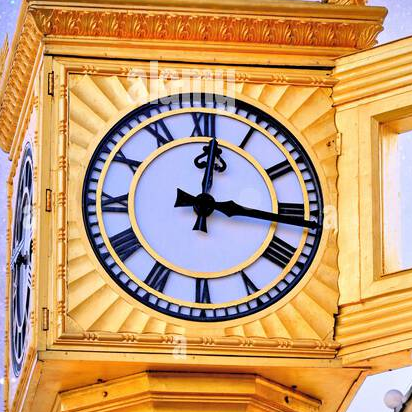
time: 12:16
